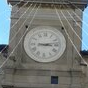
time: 3:12
